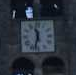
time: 11:32
